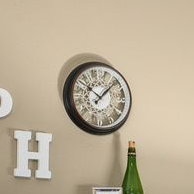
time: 1:52
